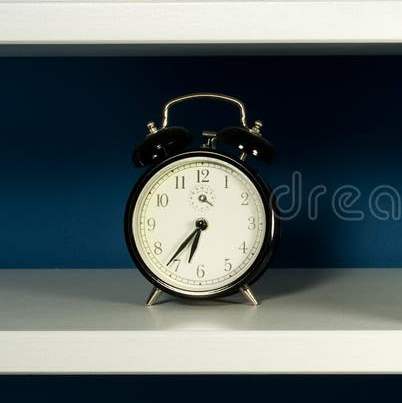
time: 6:36
